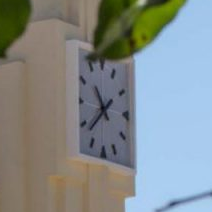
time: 10:37
